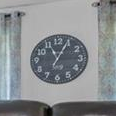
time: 11:04
